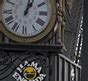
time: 1:02
